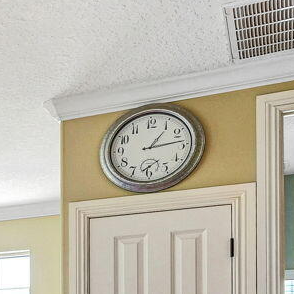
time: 1:13
